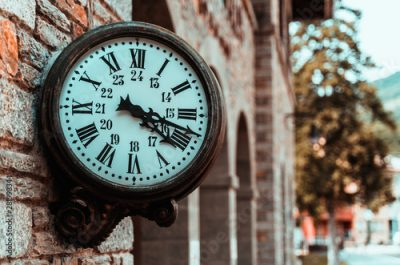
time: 4:17
